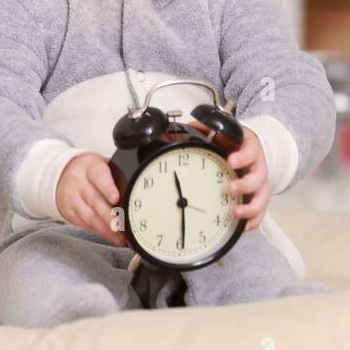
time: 11:29
